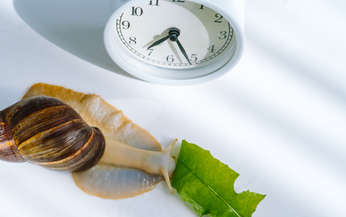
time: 7:26
